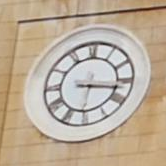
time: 3:16
